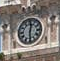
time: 12:29
